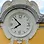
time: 7:52
